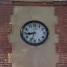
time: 8:33
